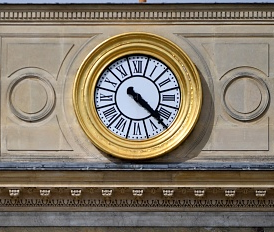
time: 4:22
